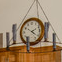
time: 2:21
